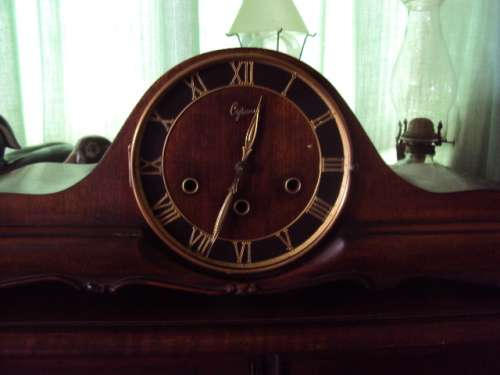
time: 12:33
